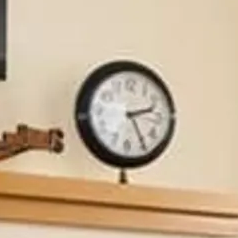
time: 2:24
